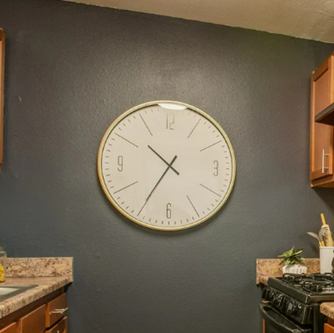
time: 10:35
